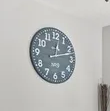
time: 12:12
